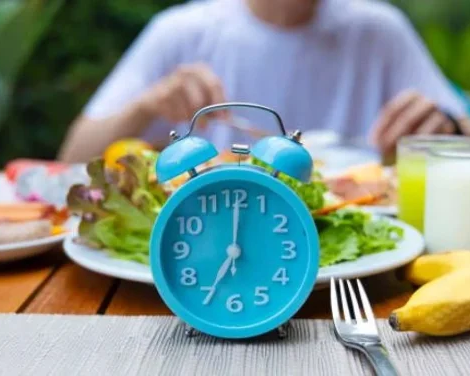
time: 7:00
